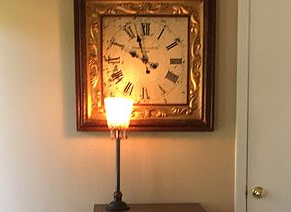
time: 9:57
